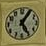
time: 5:05
